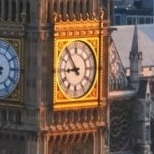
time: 8:53
